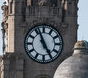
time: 4:56
